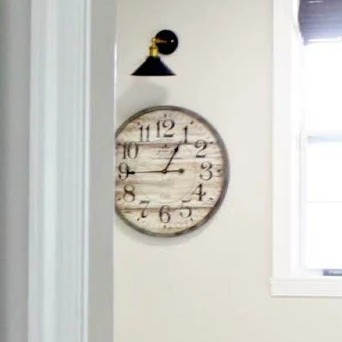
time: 12:44
